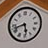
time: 5:42
